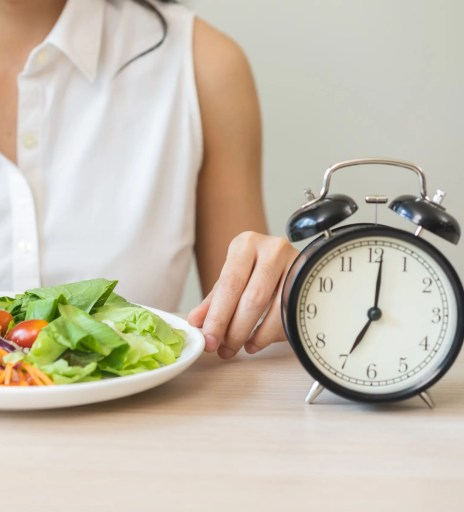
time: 7:01
